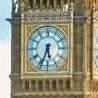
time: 5:33
